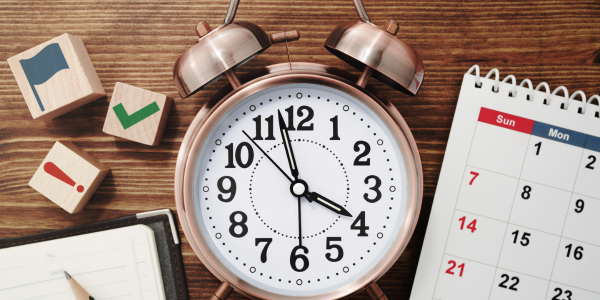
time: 3:57
